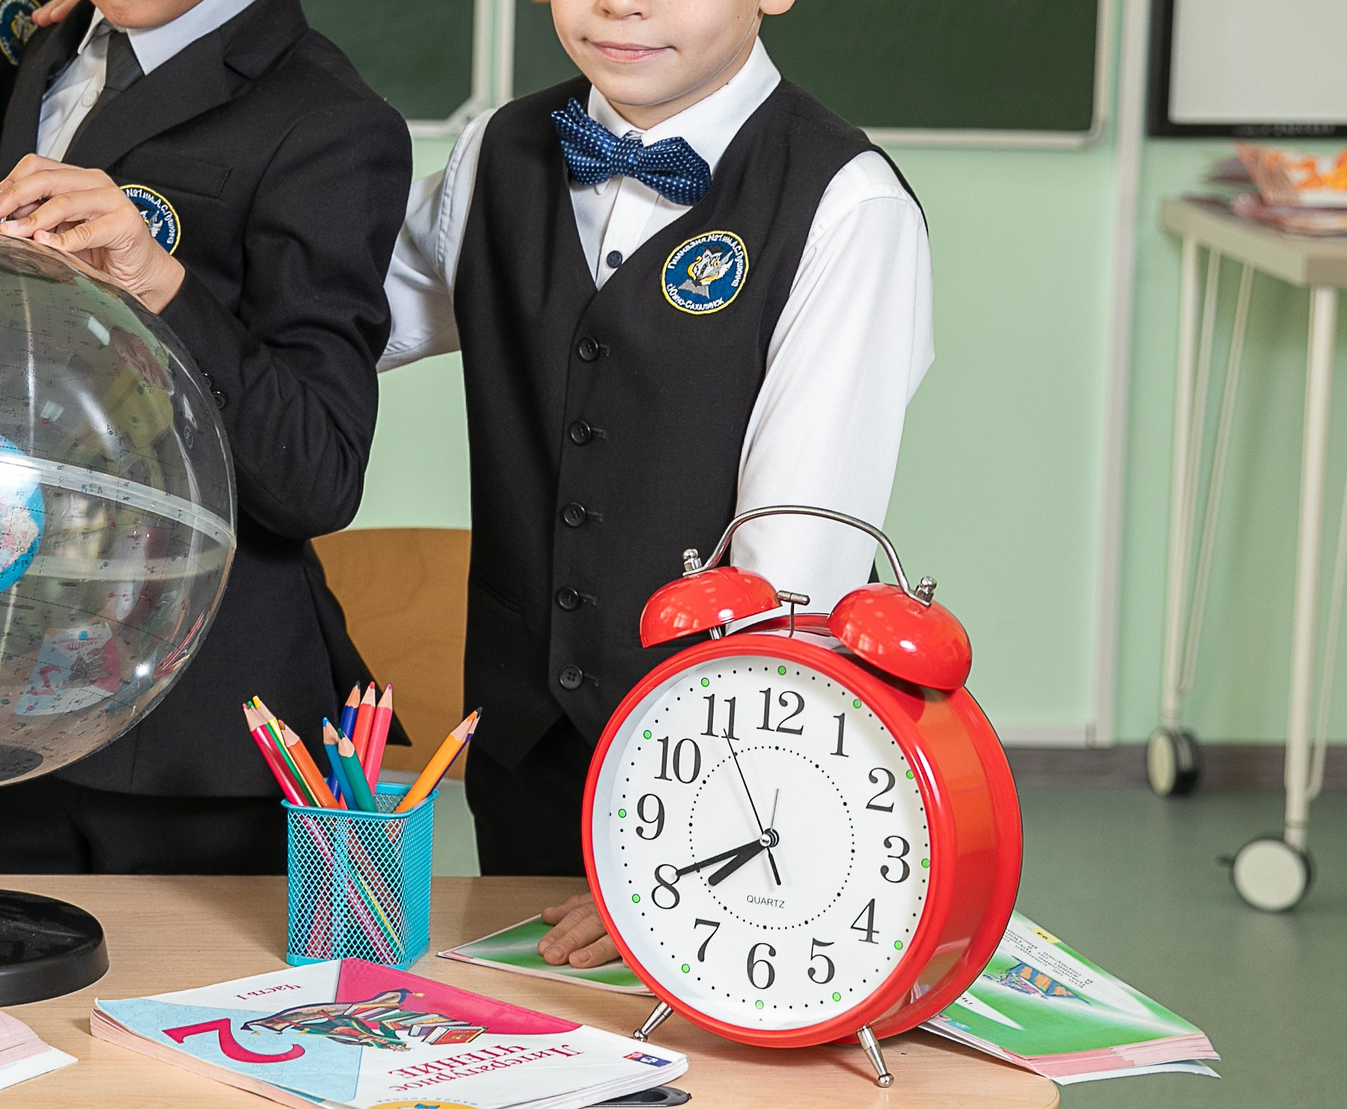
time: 7:40
